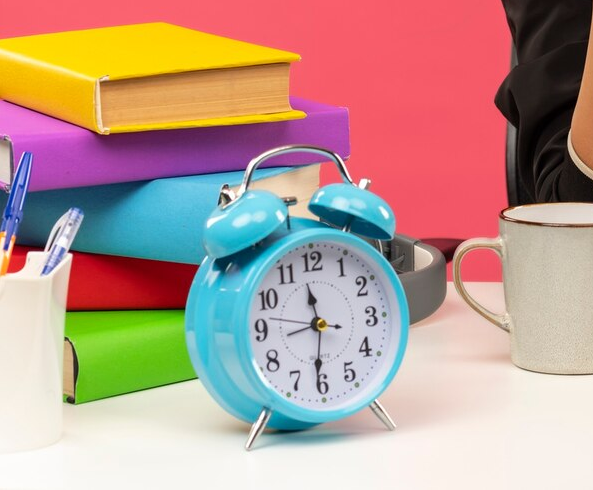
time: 11:31
